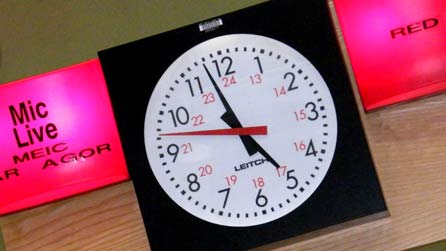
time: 4:57
